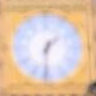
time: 1:31
